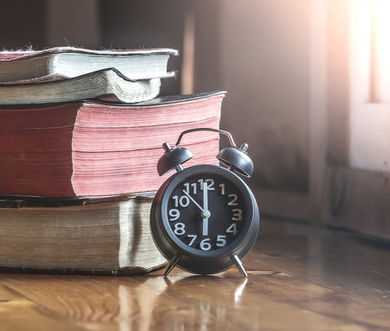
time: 5:59
